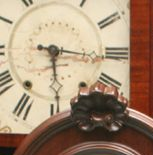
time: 9:16
